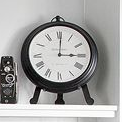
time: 3:00
